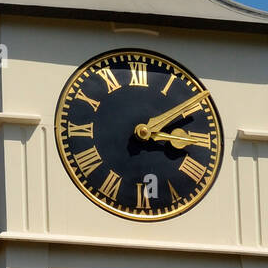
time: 3:09
